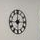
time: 8:59
